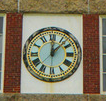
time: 12:07
